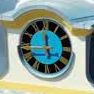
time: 11:44
